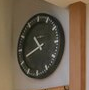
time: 10:41
